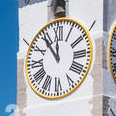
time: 11:53
